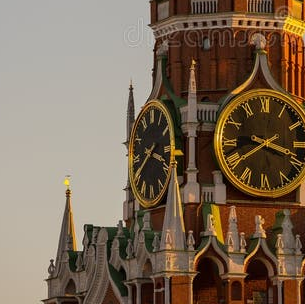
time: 3:40
